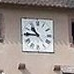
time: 10:45
